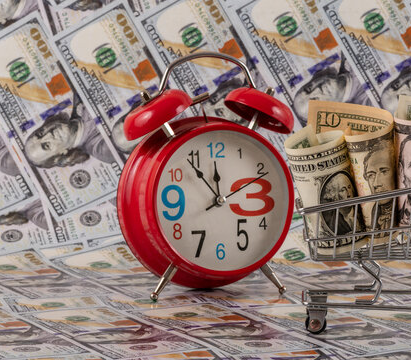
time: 11:53
